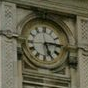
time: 5:14
